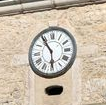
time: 5:54
